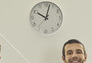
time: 10:02
